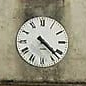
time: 4:22
